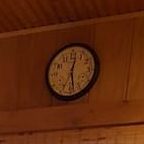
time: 12:28
